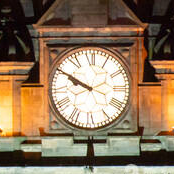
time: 9:50
